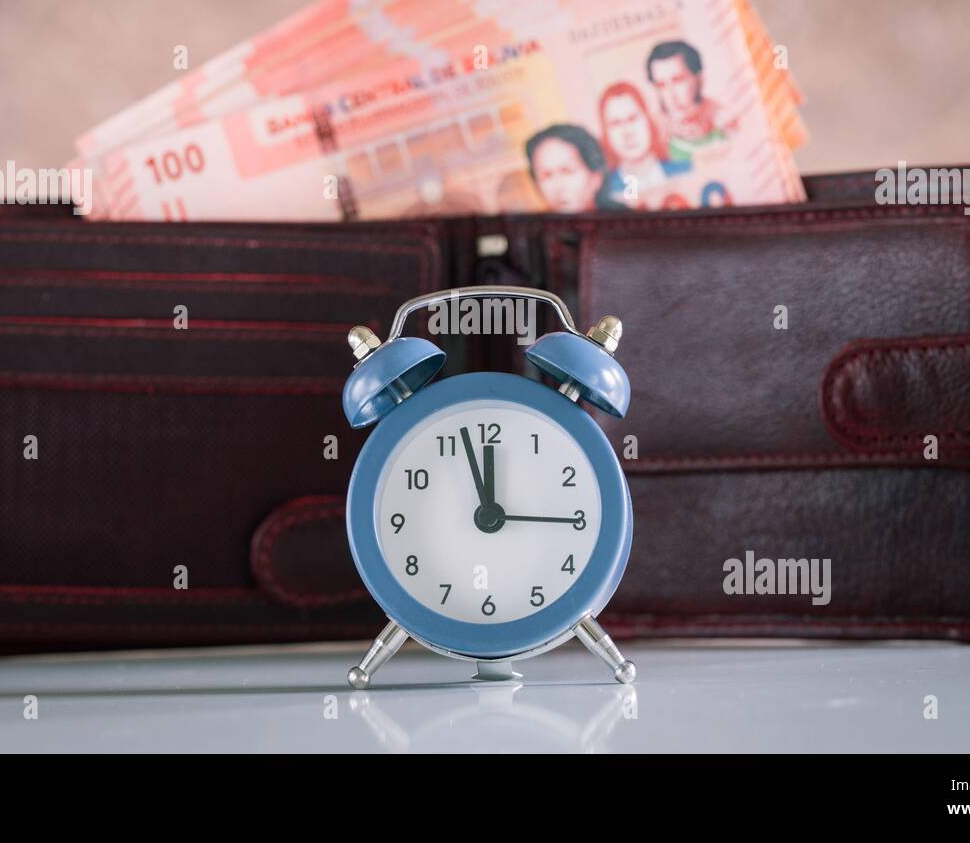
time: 11:57
